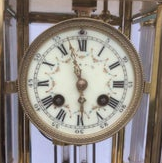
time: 5:57
